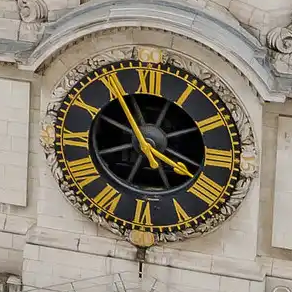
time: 3:55
